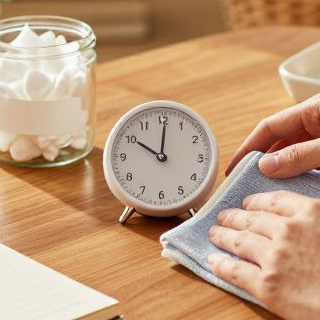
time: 10:00
